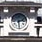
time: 2:29
